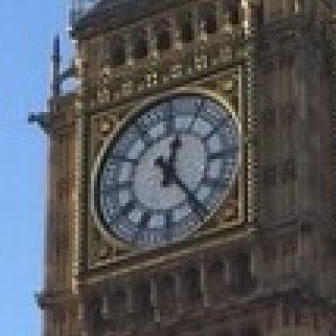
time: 12:23
